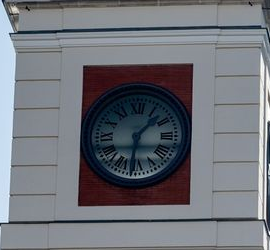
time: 1:31
